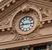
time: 9:15
